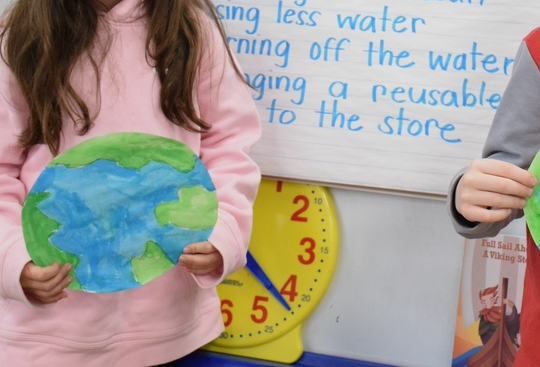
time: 4:21
